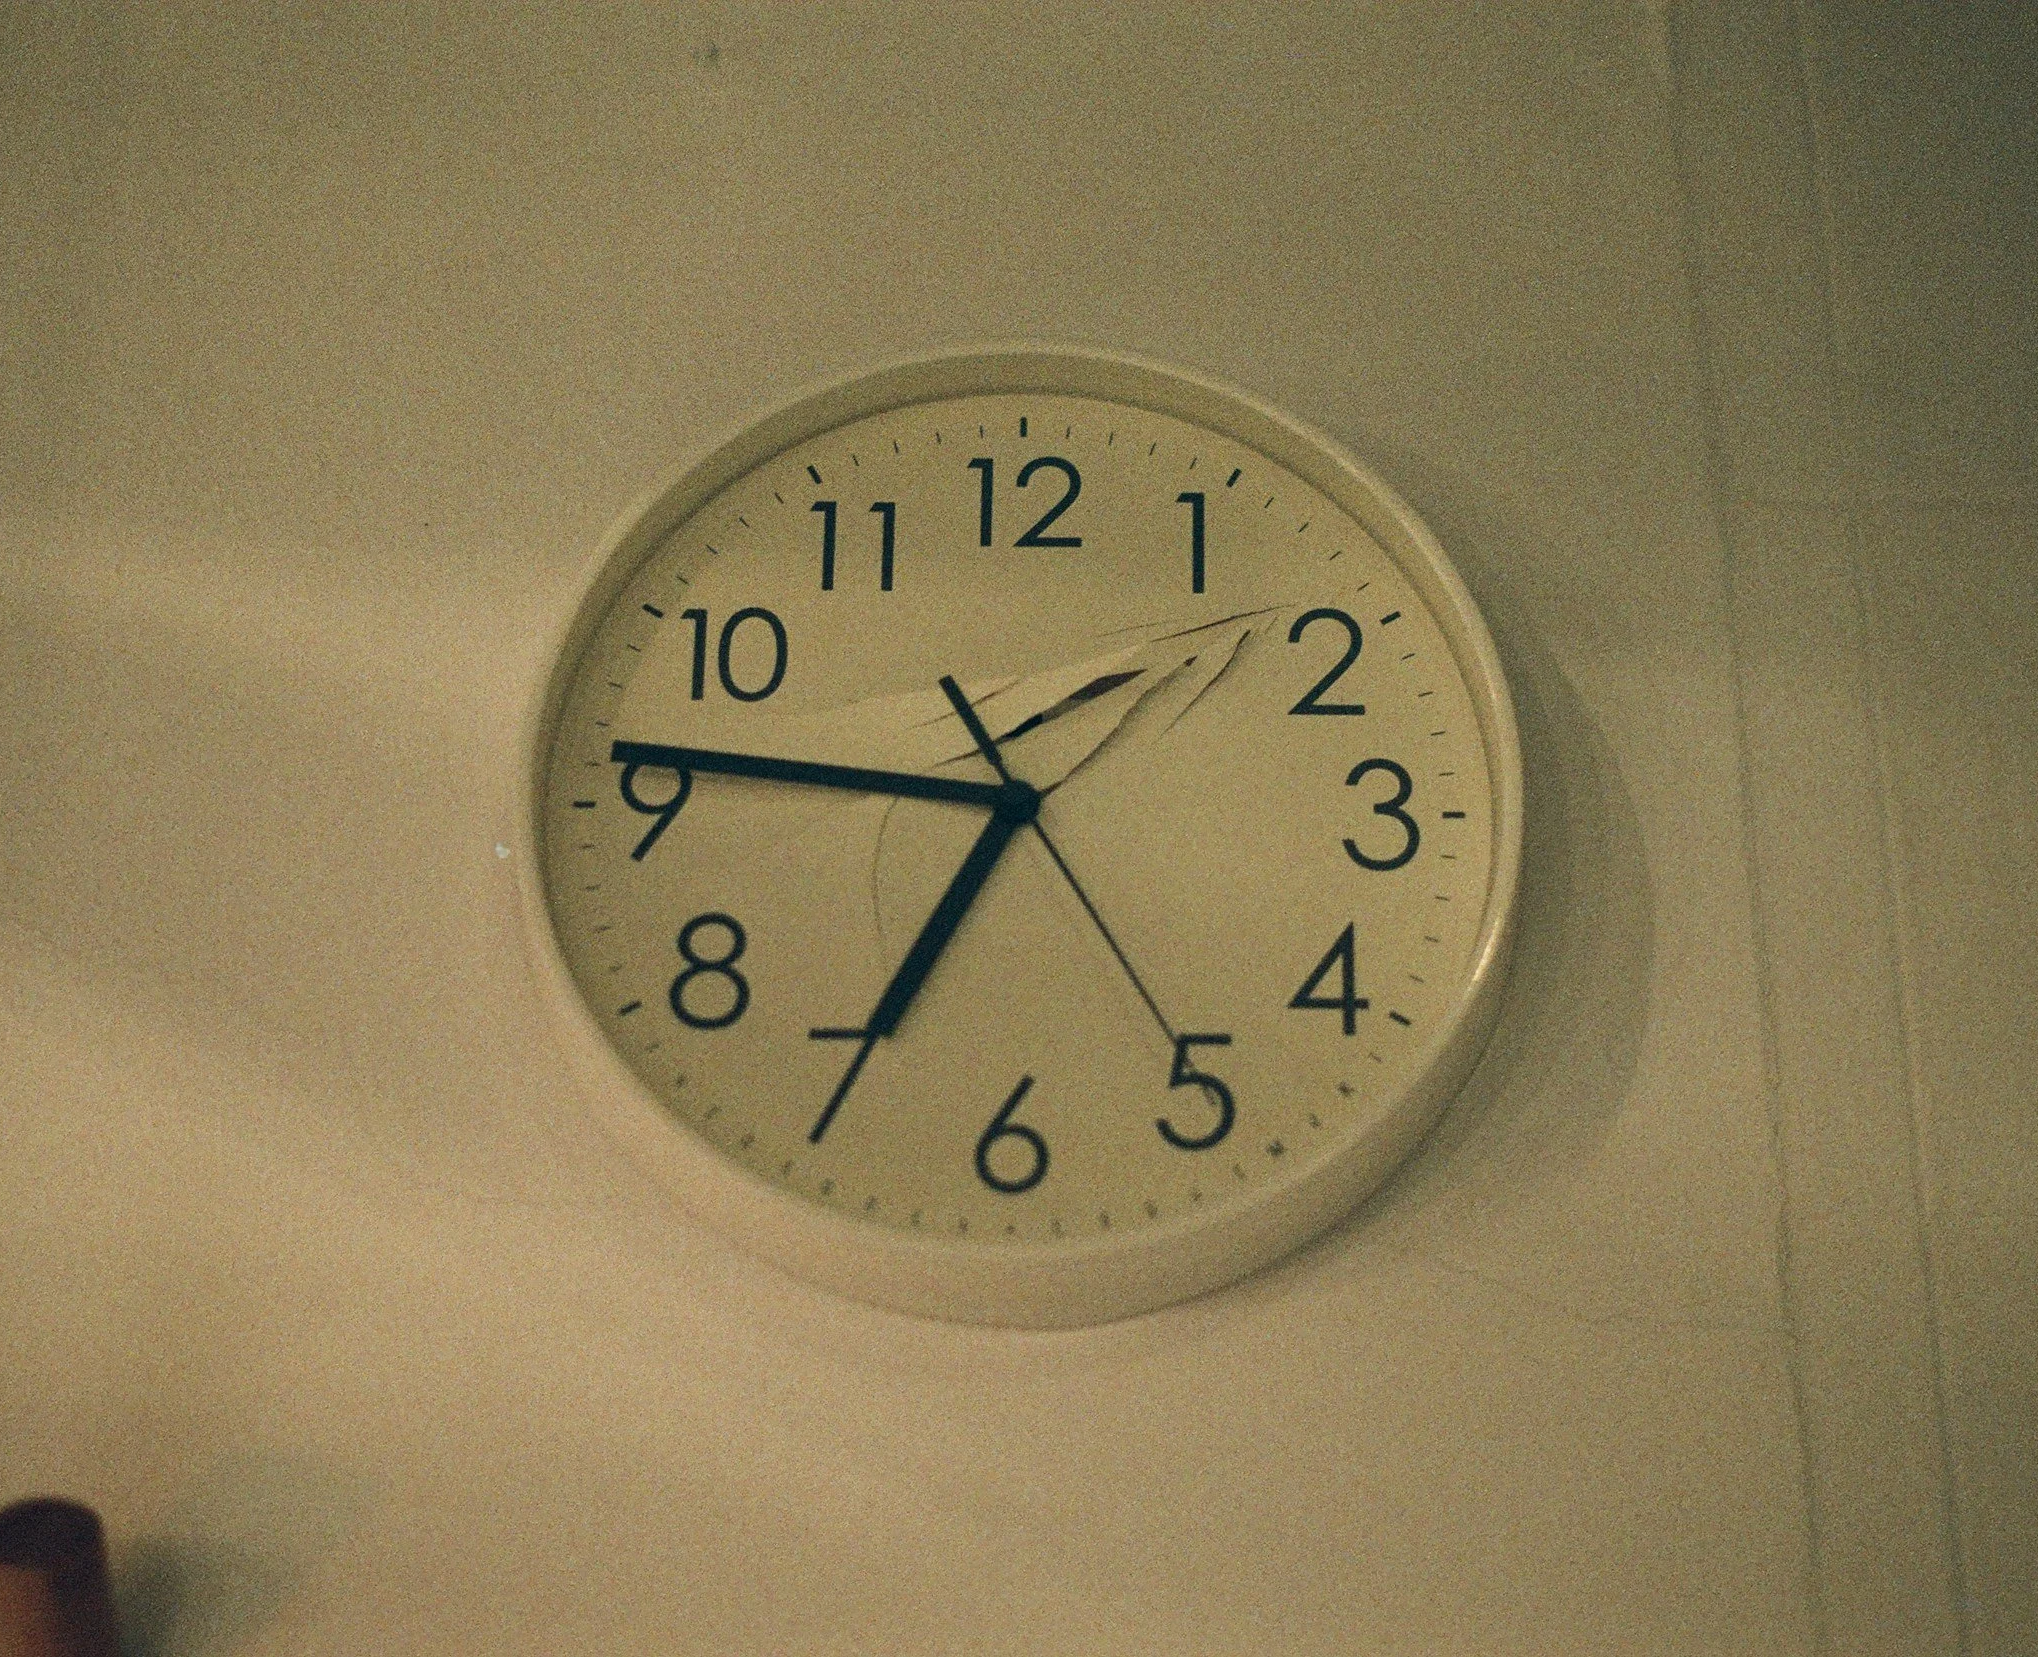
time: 6:46
